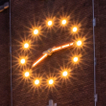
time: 8:14
